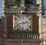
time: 2:42
